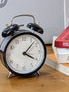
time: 4:07
